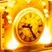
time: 9:25
